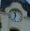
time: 11:32
